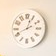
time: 12:41
